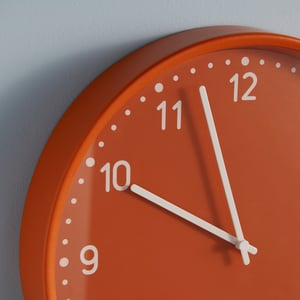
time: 9:57
